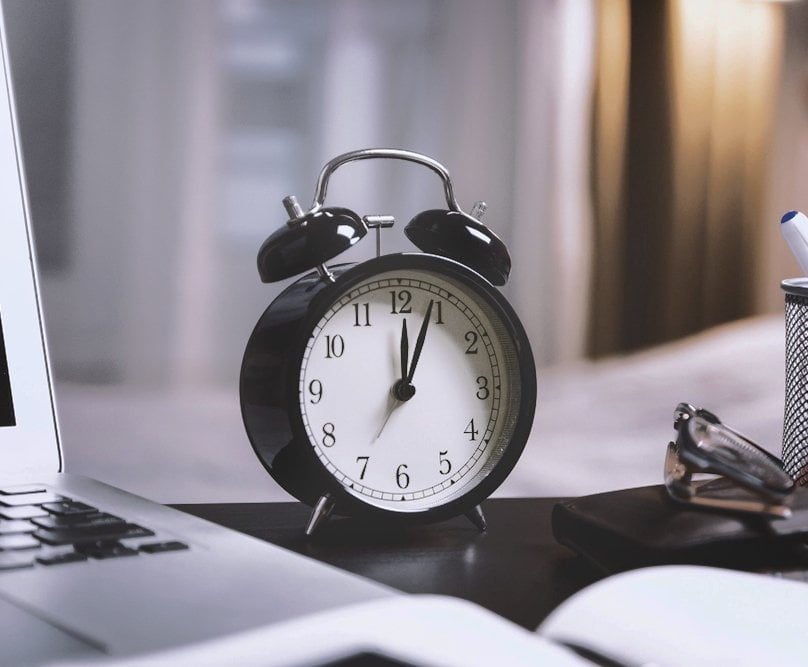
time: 12:03
